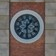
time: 1:29
